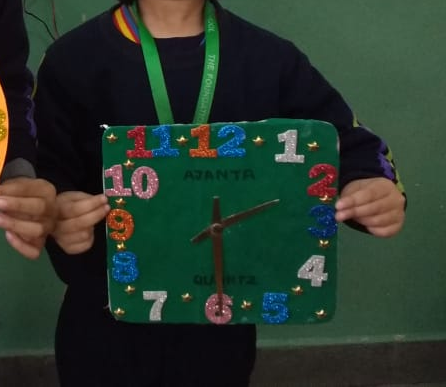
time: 2:29
